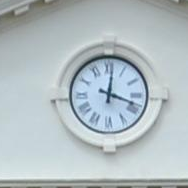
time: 12:18
